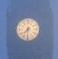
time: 7:30
